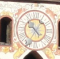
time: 4:35
